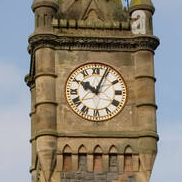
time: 10:04
